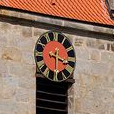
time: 3:30
